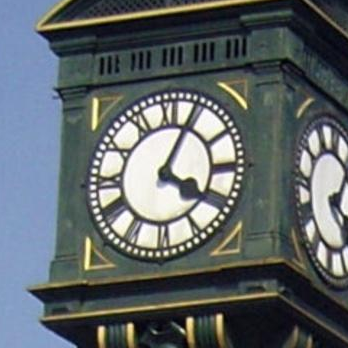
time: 4:04
